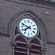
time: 7:48
